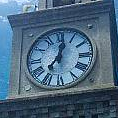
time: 12:36
